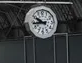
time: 9:43
